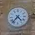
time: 4:36
